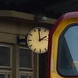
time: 1:59
